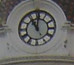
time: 11:00
